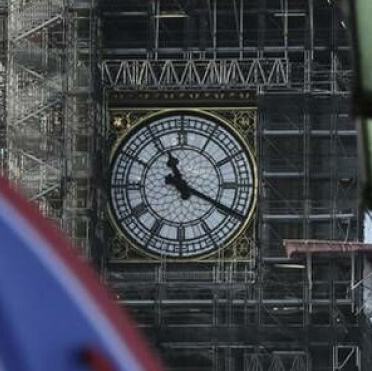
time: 11:19
